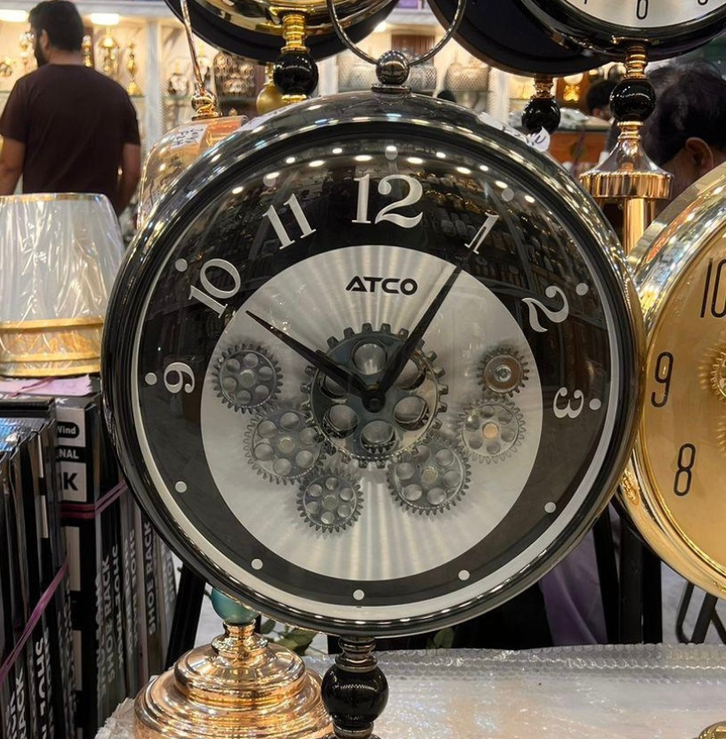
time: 10:05
